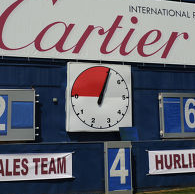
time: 1:04
